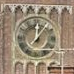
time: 12:06
